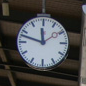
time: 11:47
